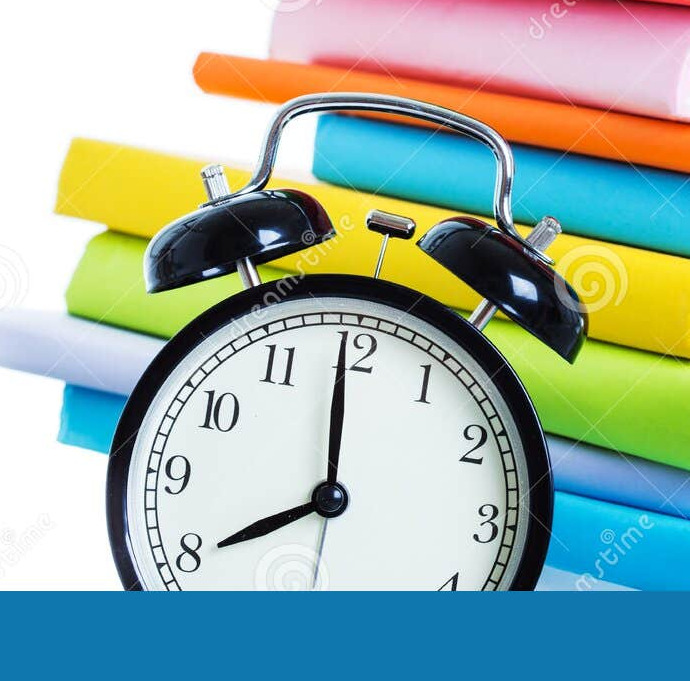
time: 7:59
